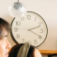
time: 2:19
